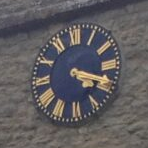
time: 4:19
